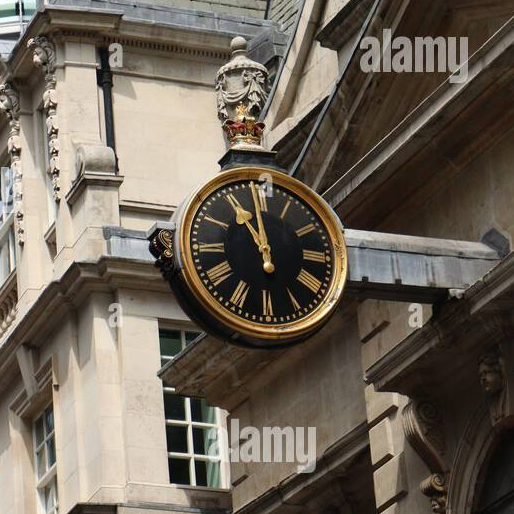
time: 10:59
